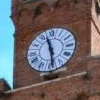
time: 11:28
